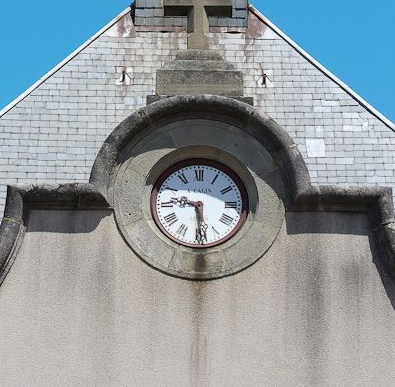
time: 9:28
